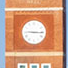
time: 9:15
